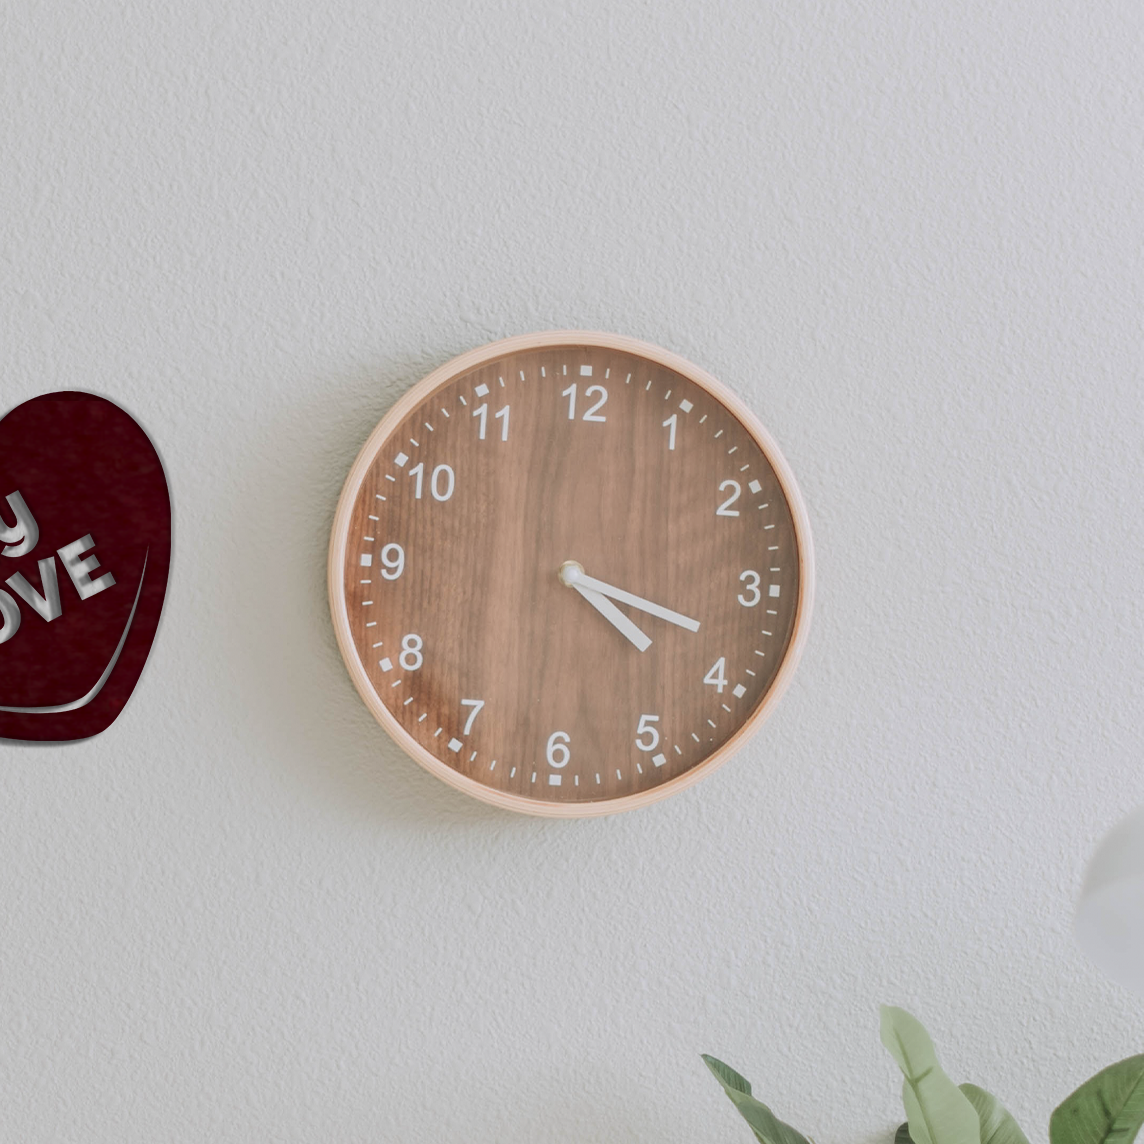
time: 4:18
